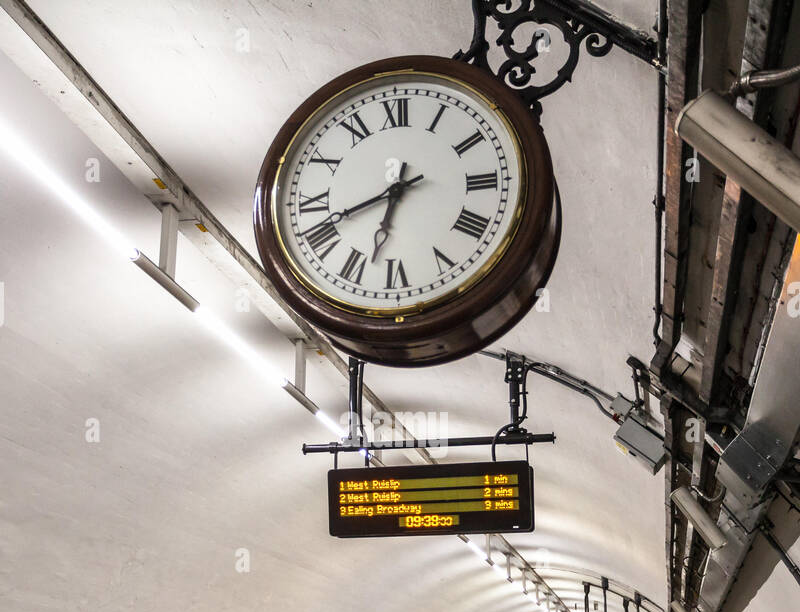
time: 6:41
